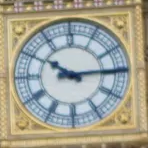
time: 10:14
